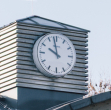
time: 9:58
